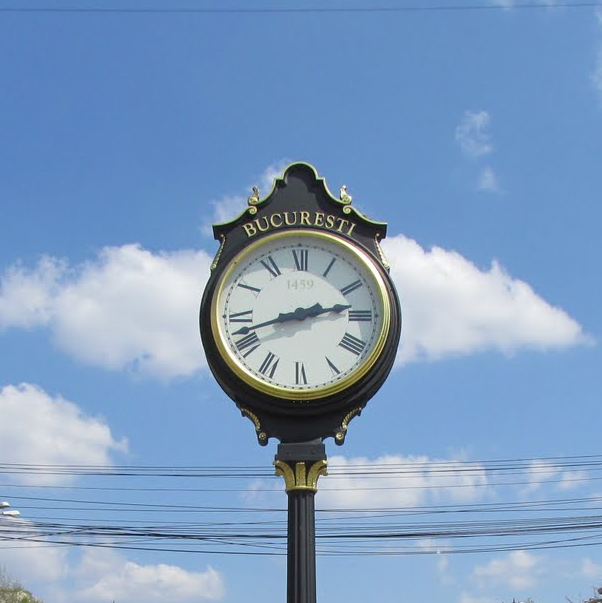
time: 2:42
